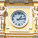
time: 1:13
